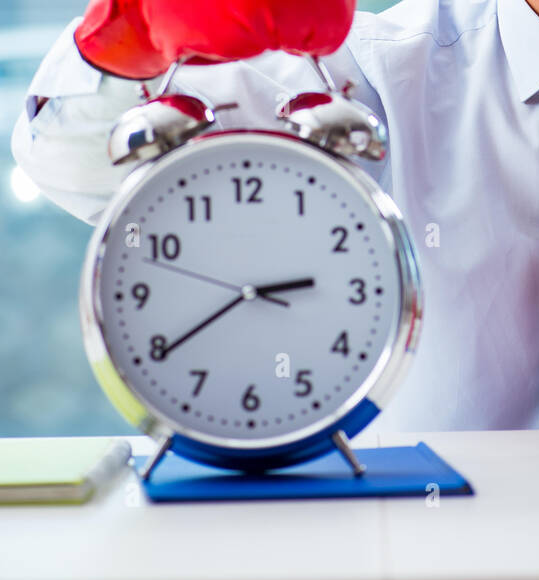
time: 2:39
